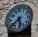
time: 5:38
